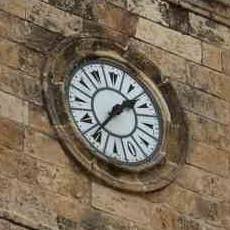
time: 1:36
